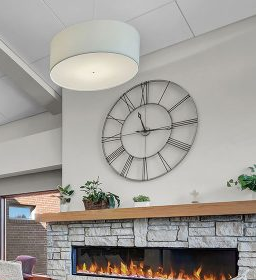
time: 11:15
